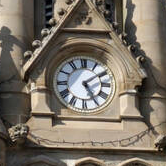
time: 5:09
